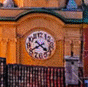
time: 4:40
